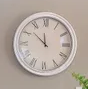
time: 11:51
